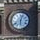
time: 12:28
